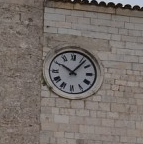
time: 10:06
